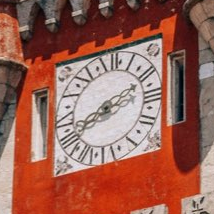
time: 8:11
